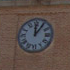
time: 12:05
